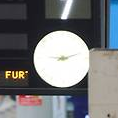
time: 9:12
